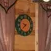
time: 9:38
